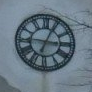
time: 3:04
